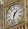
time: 1:32
